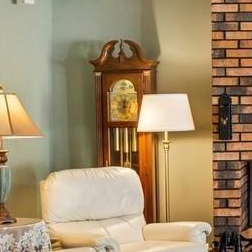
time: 6:14
